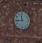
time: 11:43
